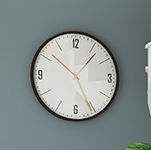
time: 1:25
